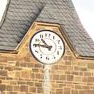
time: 10:46
